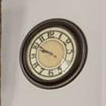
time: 9:51
